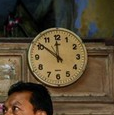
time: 11:51
